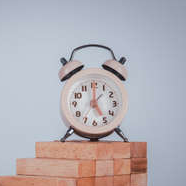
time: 5:00
